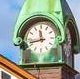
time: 11:42
